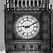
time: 9:10
